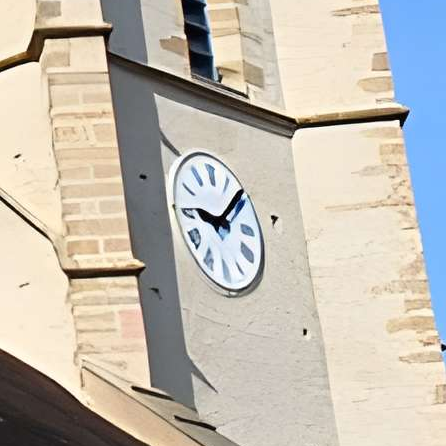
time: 9:08
